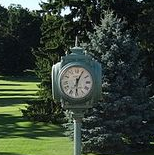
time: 6:04
